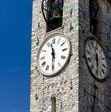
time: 11:30
